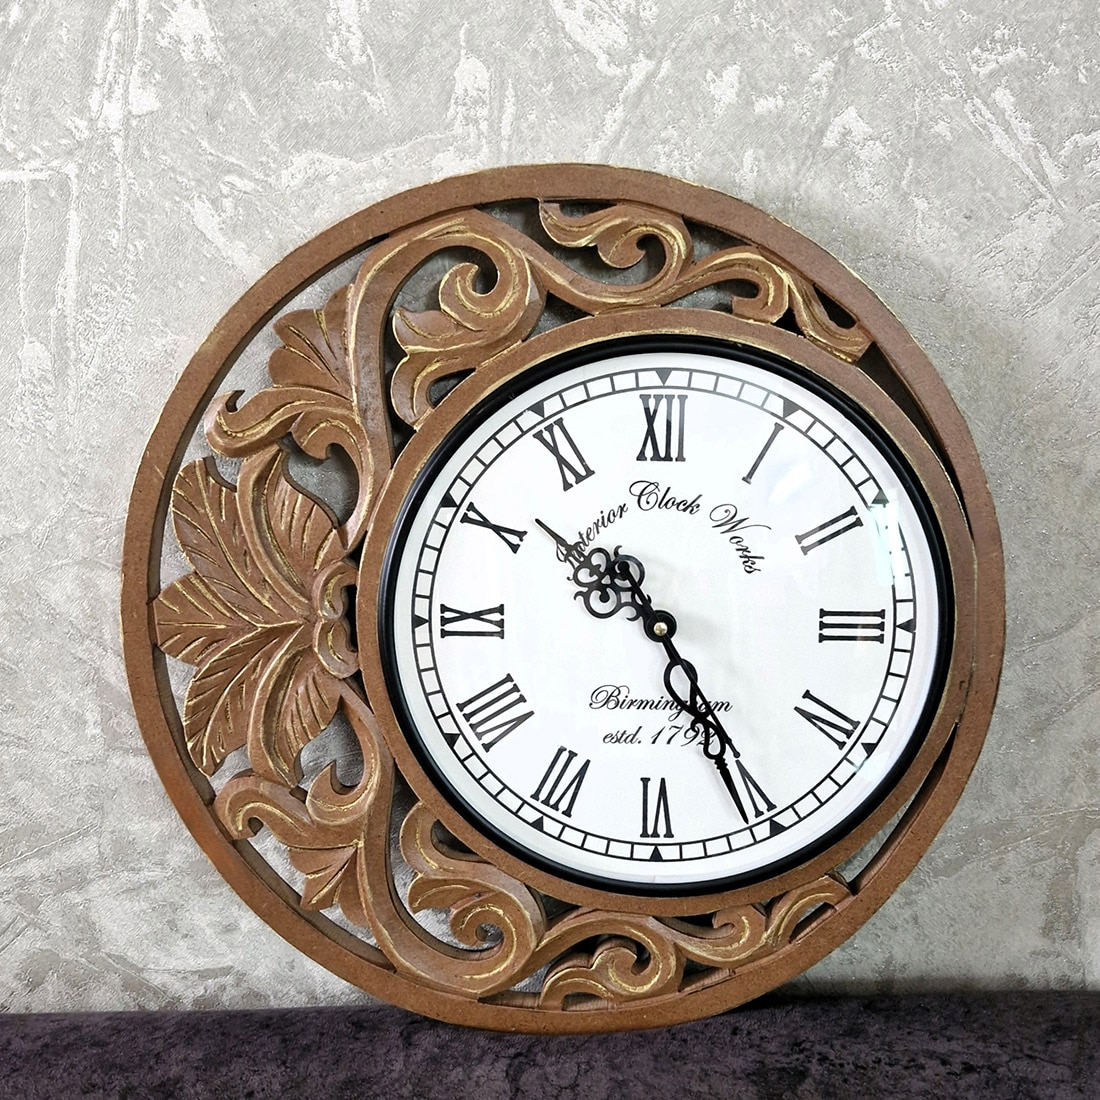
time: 10:25
